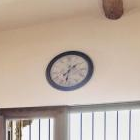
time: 7:32
